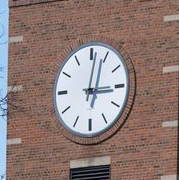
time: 3:01
